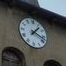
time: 1:18
